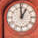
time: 12:59
